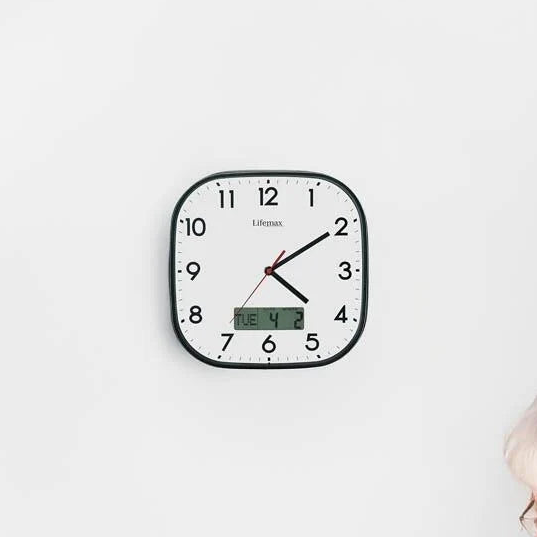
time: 4:09
